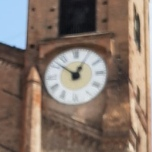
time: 12:52
